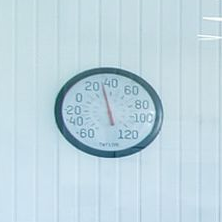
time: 5:58
